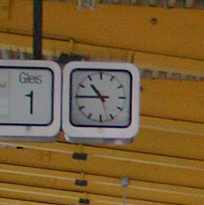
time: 10:45
